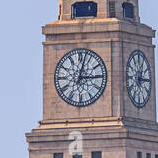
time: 3:02
